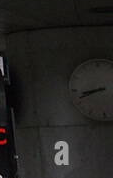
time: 8:41
